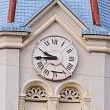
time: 9:44
